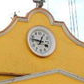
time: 12:46
